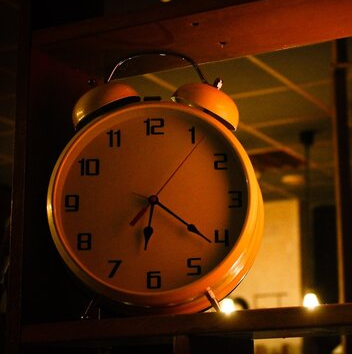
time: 6:21
